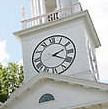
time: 2:19
